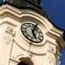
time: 5:03
